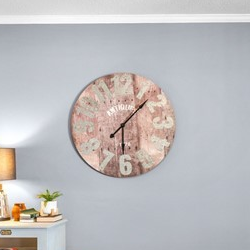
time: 6:08
